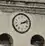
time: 2:12
